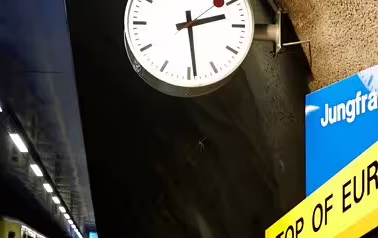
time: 2:29
